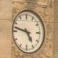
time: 4:47
